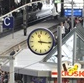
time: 11:15
